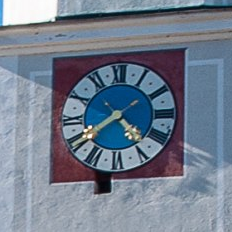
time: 4:39
